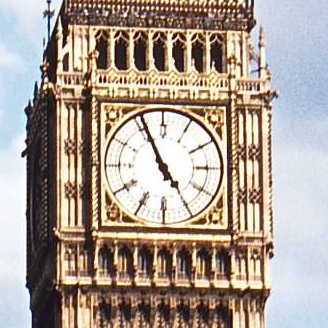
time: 4:55
